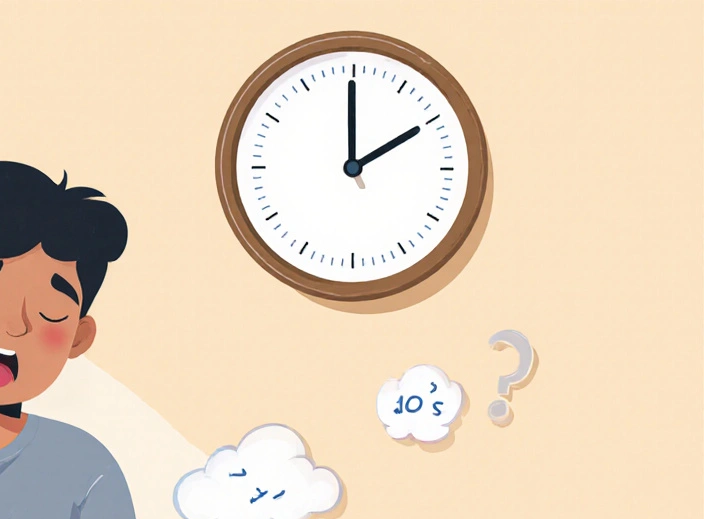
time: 1:59
